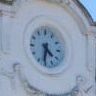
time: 4:32
